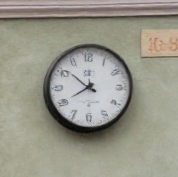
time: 7:51
